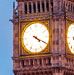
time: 4:19
